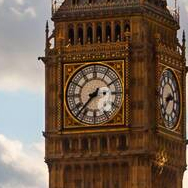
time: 7:37
